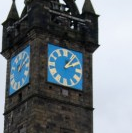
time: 2:06
